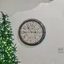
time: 10:45
